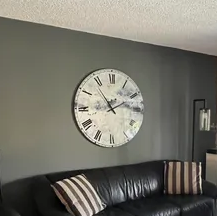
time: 1:53
